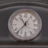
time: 10:37
